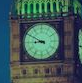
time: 8:49
